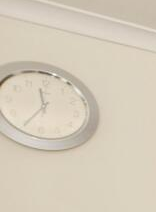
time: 11:35
